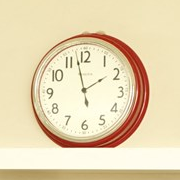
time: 1:57
